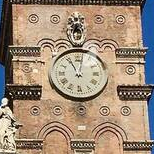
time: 11:02
